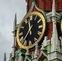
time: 11:35
